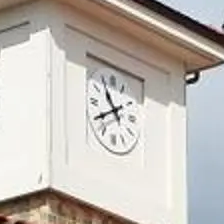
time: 10:40
